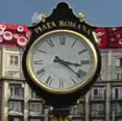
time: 3:21
